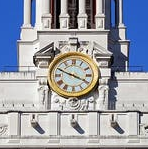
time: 3:49
